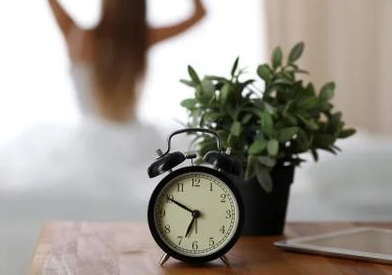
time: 6:50
